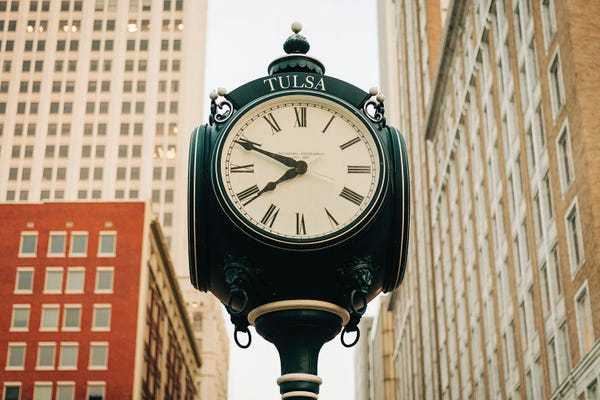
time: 7:48
